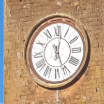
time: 12:26
